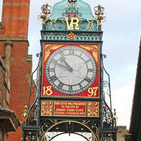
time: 10:48
